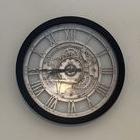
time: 8:45
